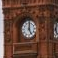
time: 5:00
